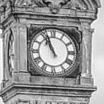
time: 10:56
